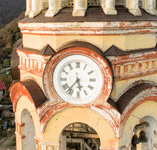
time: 5:36
